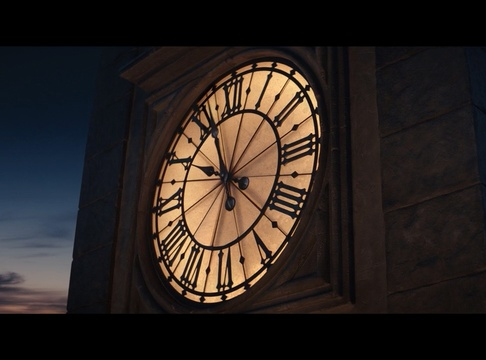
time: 9:56
